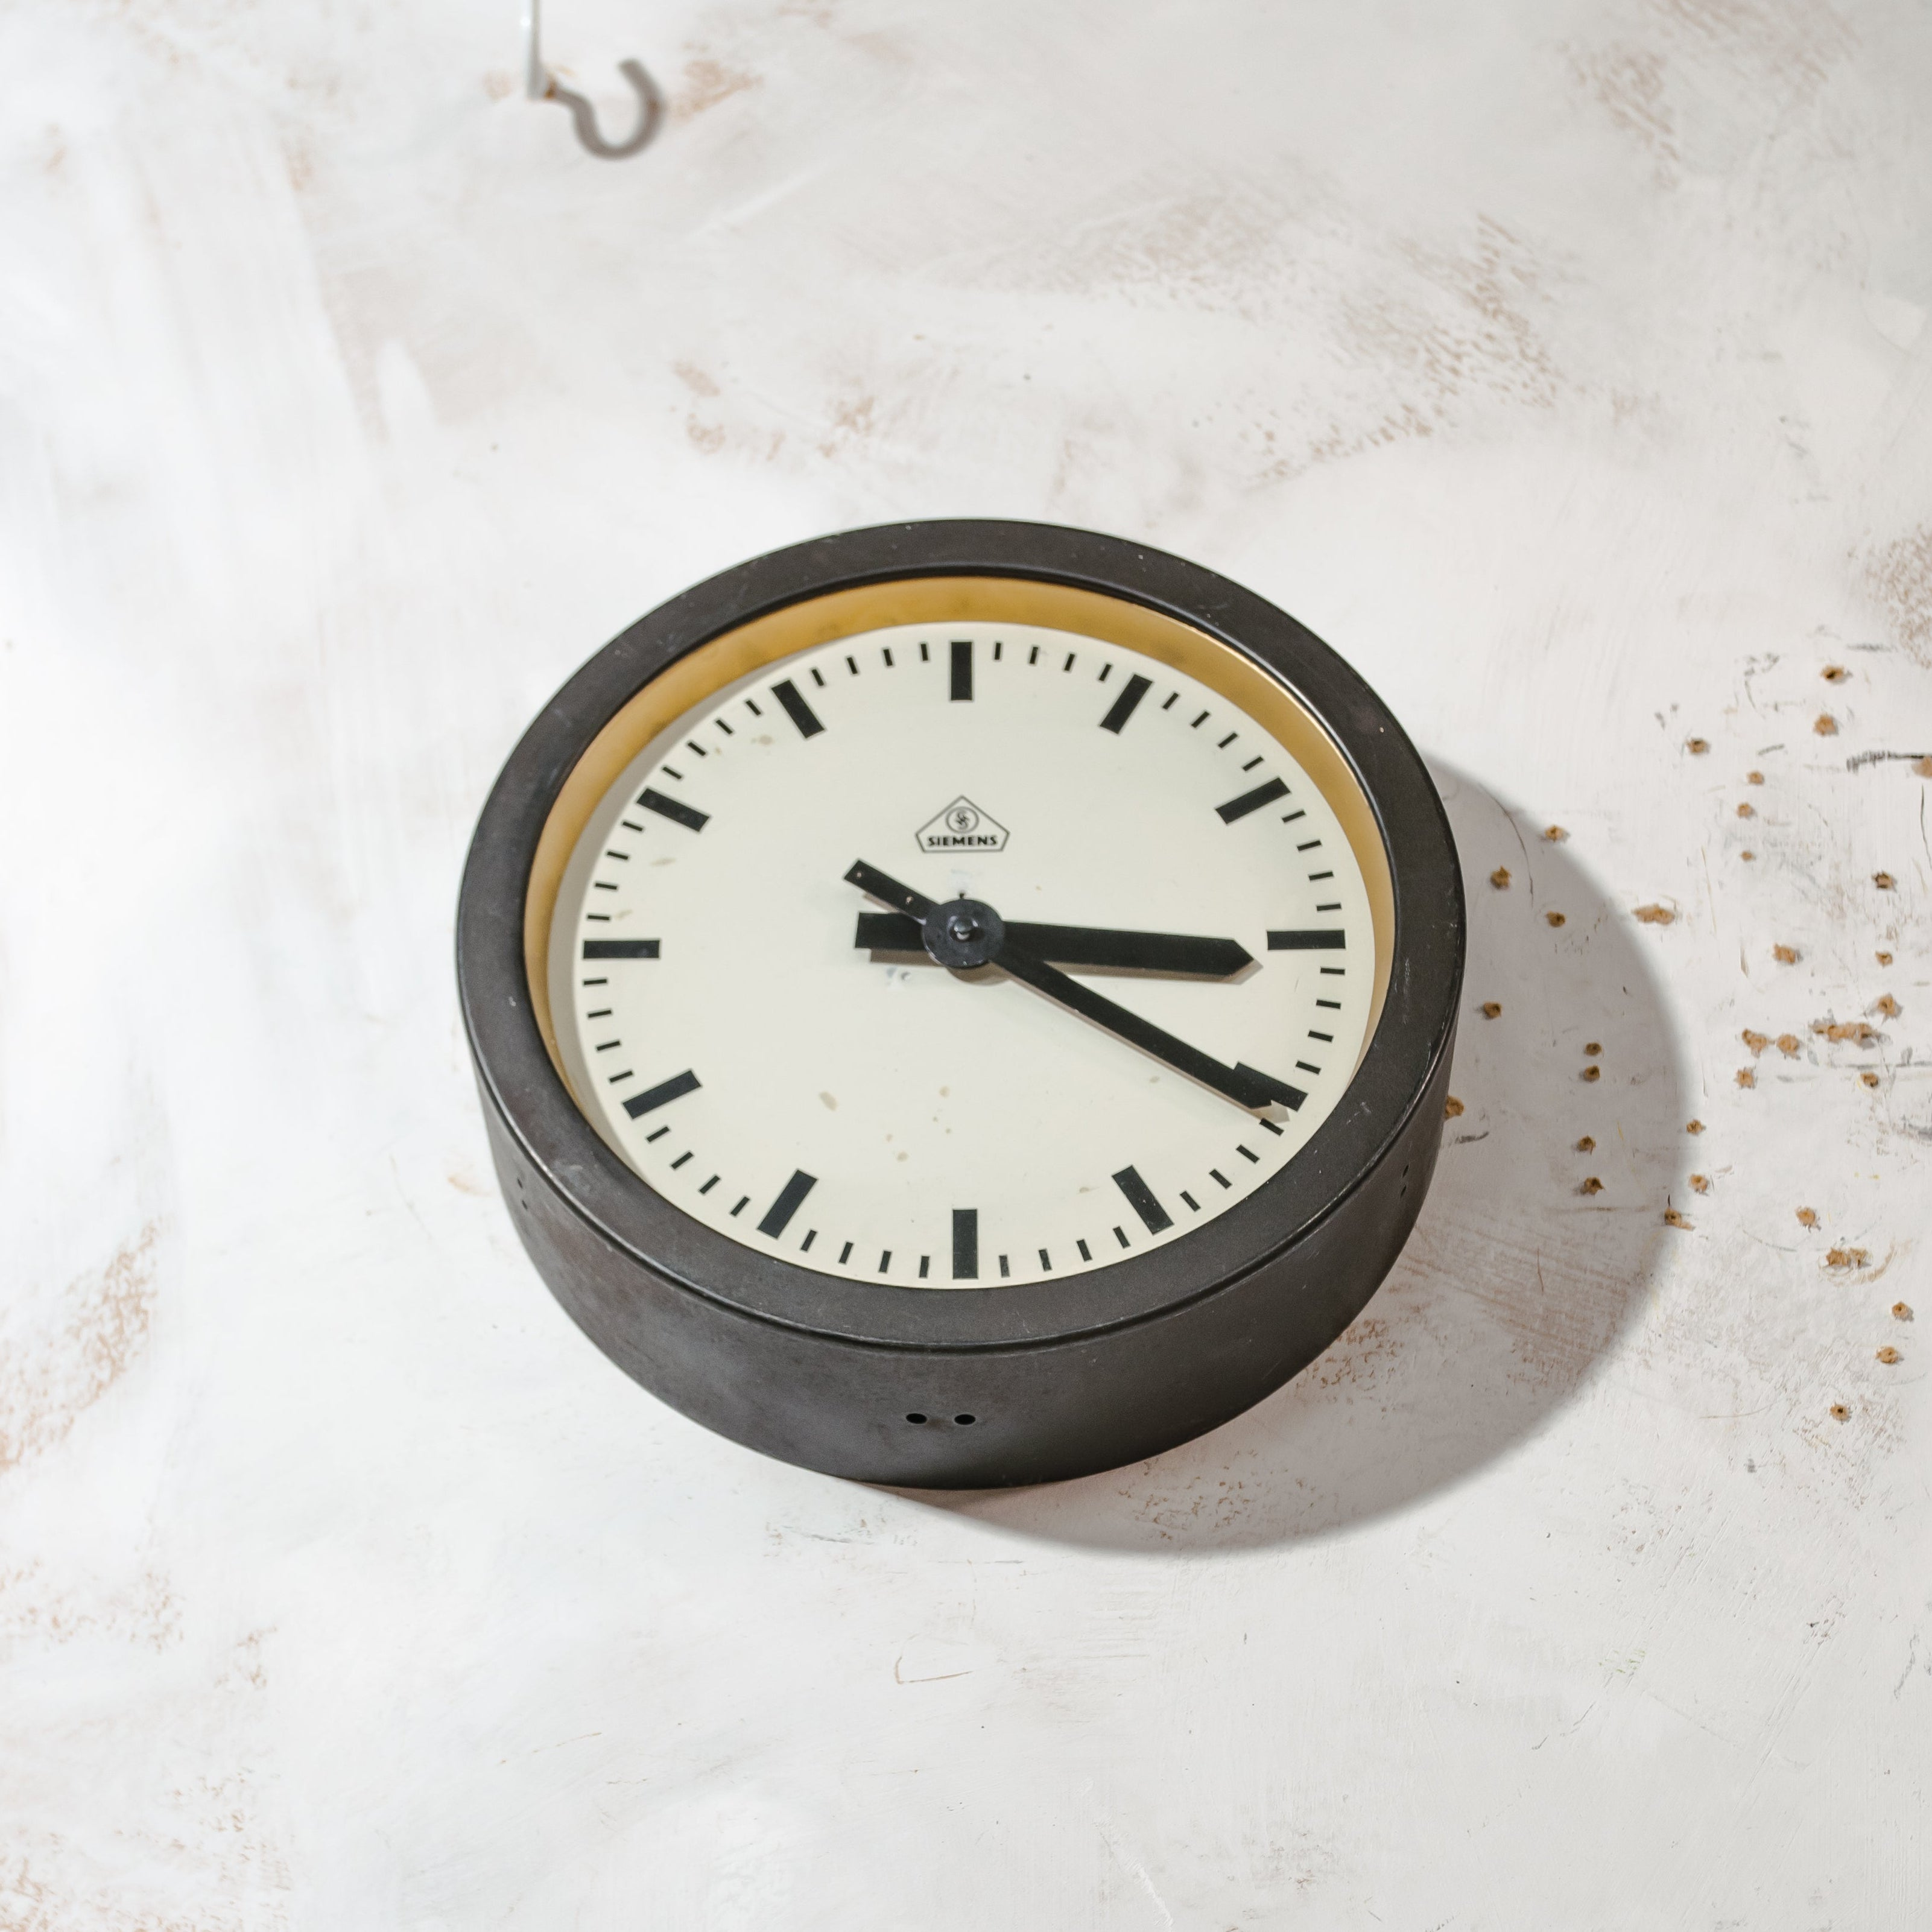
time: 3:20
